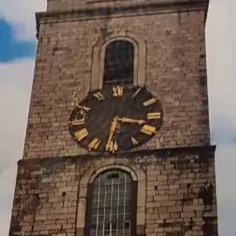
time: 3:32
